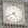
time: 4:41
